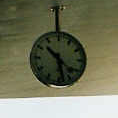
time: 10:28
